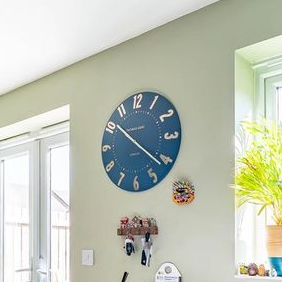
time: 10:21
